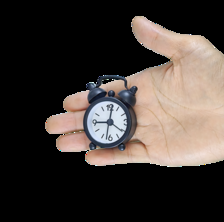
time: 9:01
